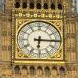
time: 6:15
